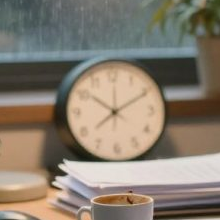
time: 10:10
